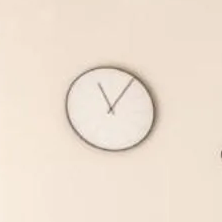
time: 11:05
